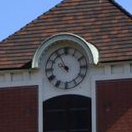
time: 9:55
